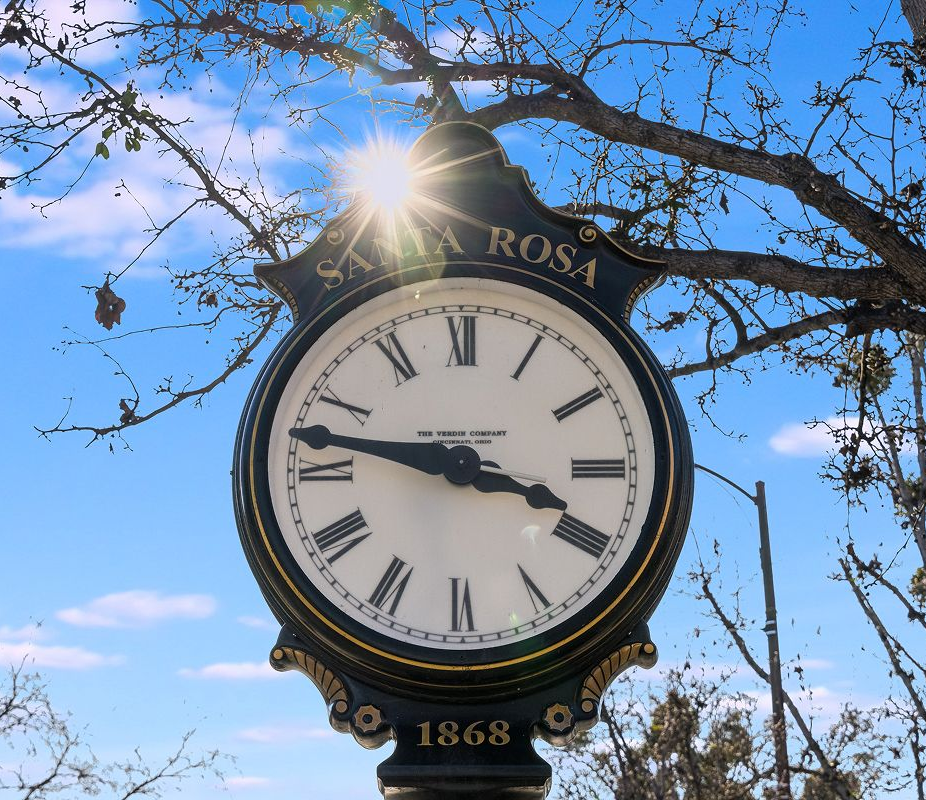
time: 3:46
